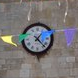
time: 1:22
